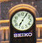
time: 7:05
